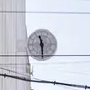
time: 11:29
